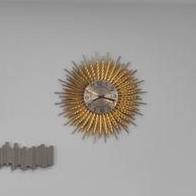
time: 3:40
